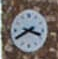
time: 3:40
